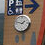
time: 1:47
